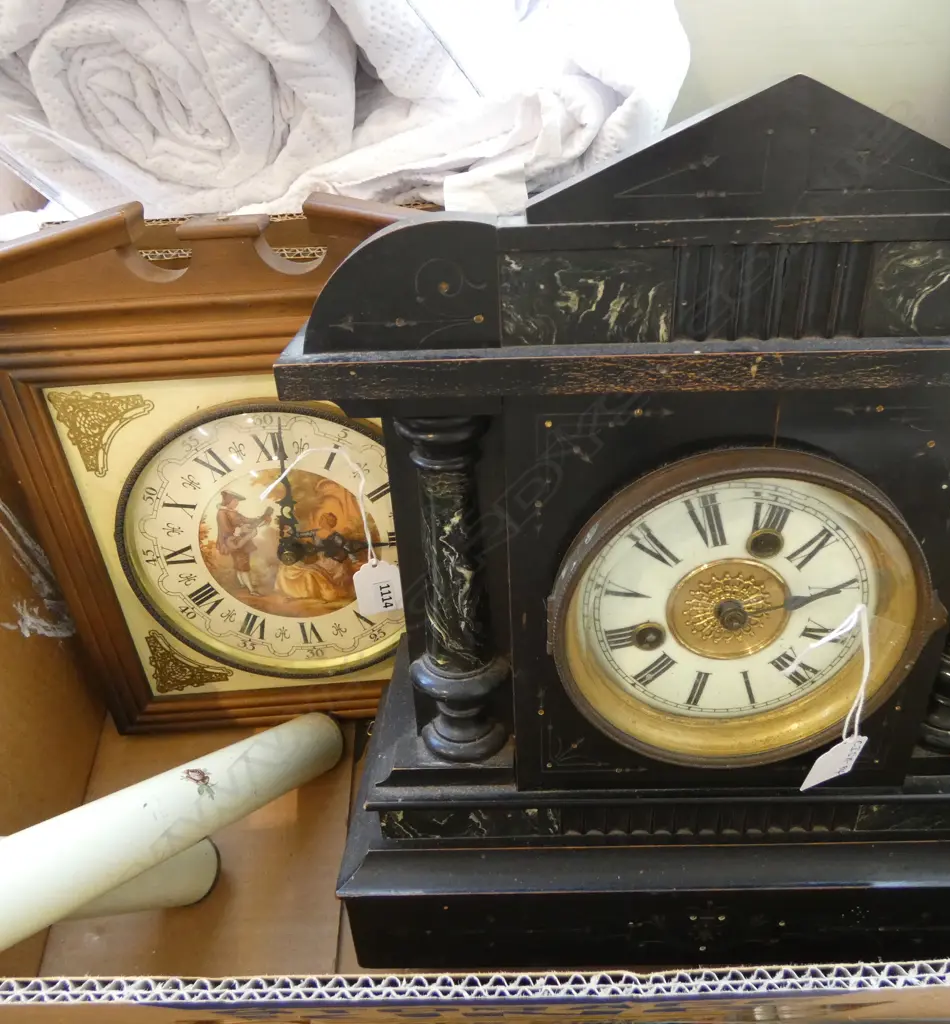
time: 3:01
